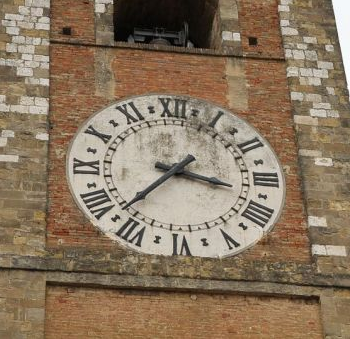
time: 3:37
